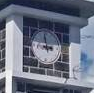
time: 2:58
